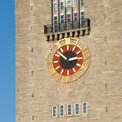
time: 2:52
